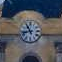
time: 10:42
